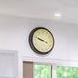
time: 9:48
